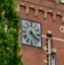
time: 4:21
